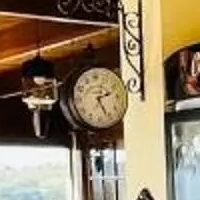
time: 2:25
